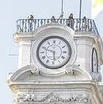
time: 5:48
